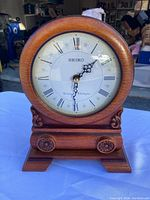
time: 1:30
